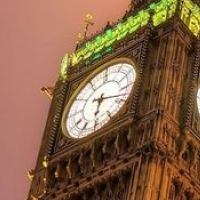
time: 6:17
